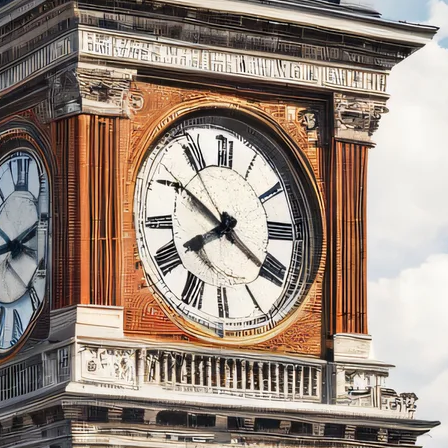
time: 7:50
